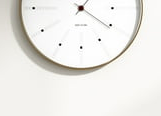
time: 1:21
